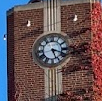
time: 5:18
